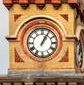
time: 1:05
